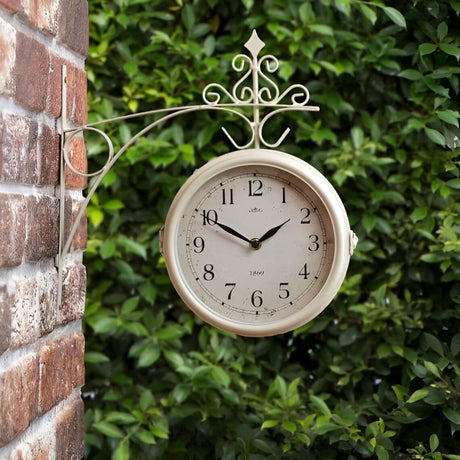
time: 1:50
